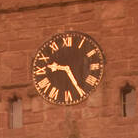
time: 9:25
